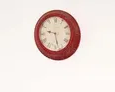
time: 9:27
